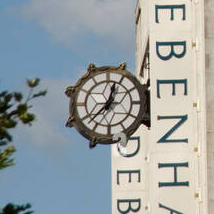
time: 12:37
